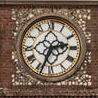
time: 2:33
